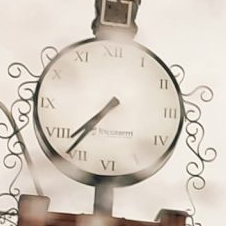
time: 7:36
